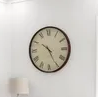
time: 10:25
